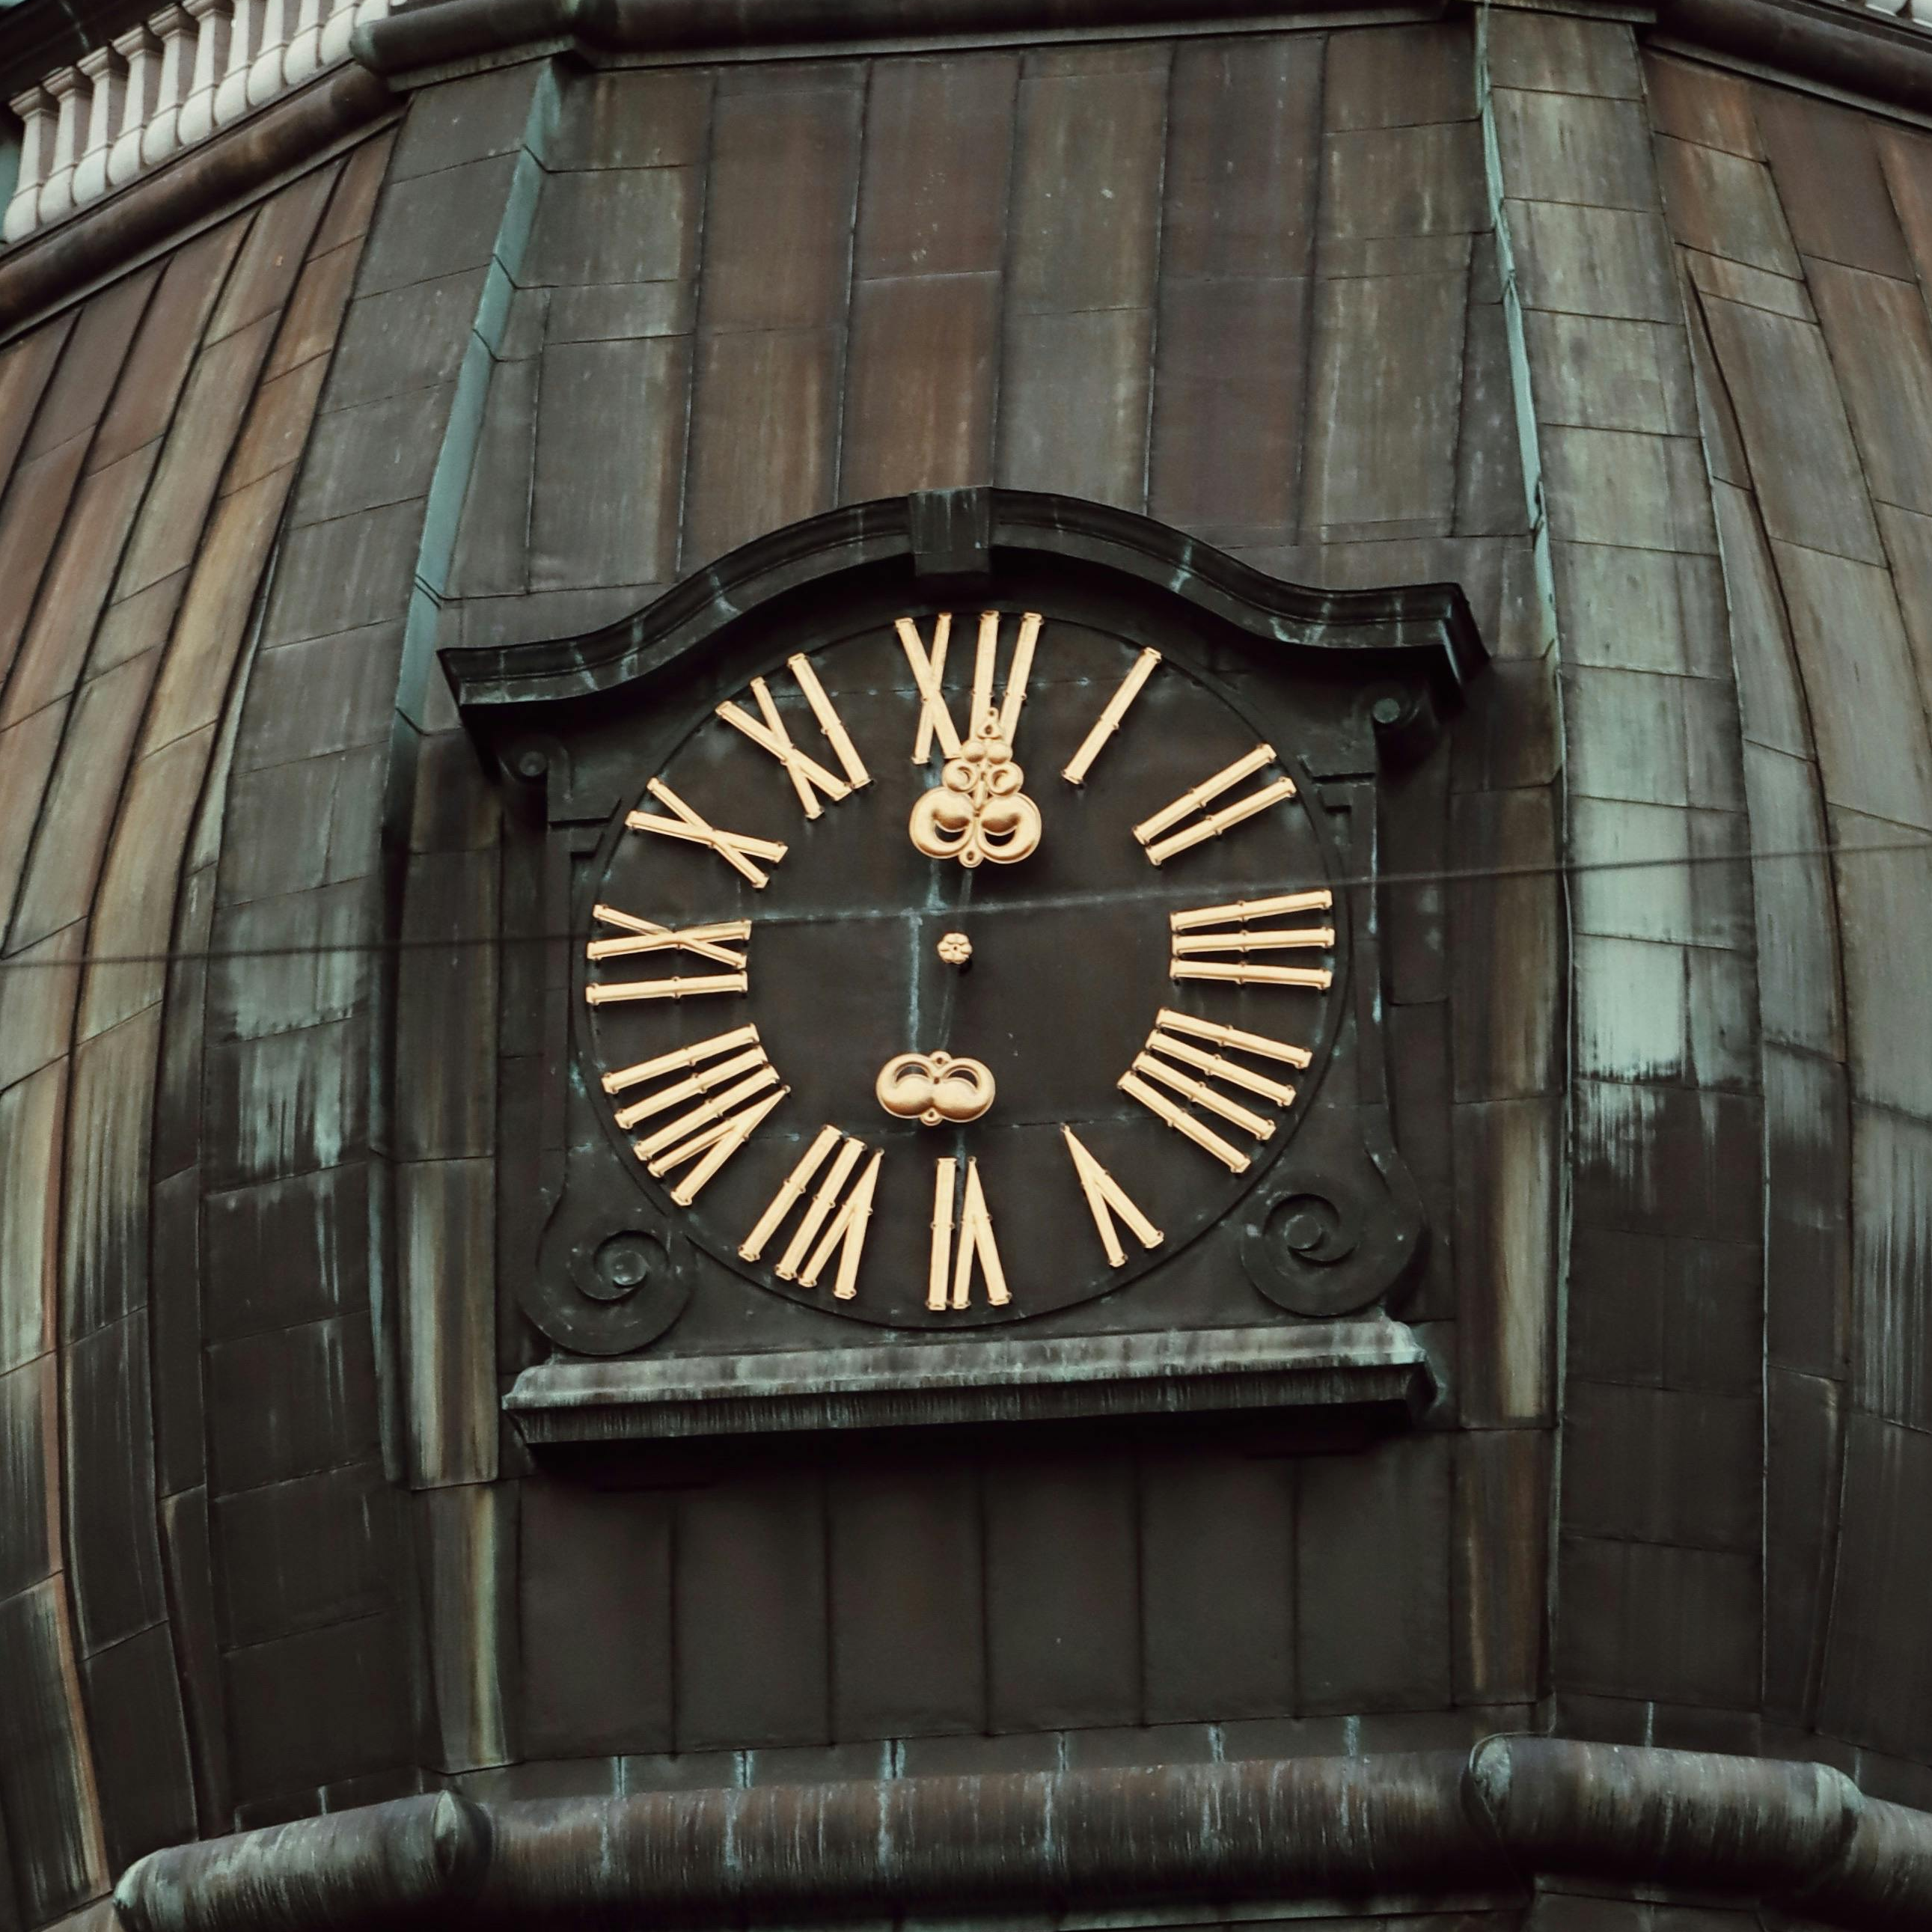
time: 12:01
